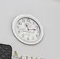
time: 11:12
